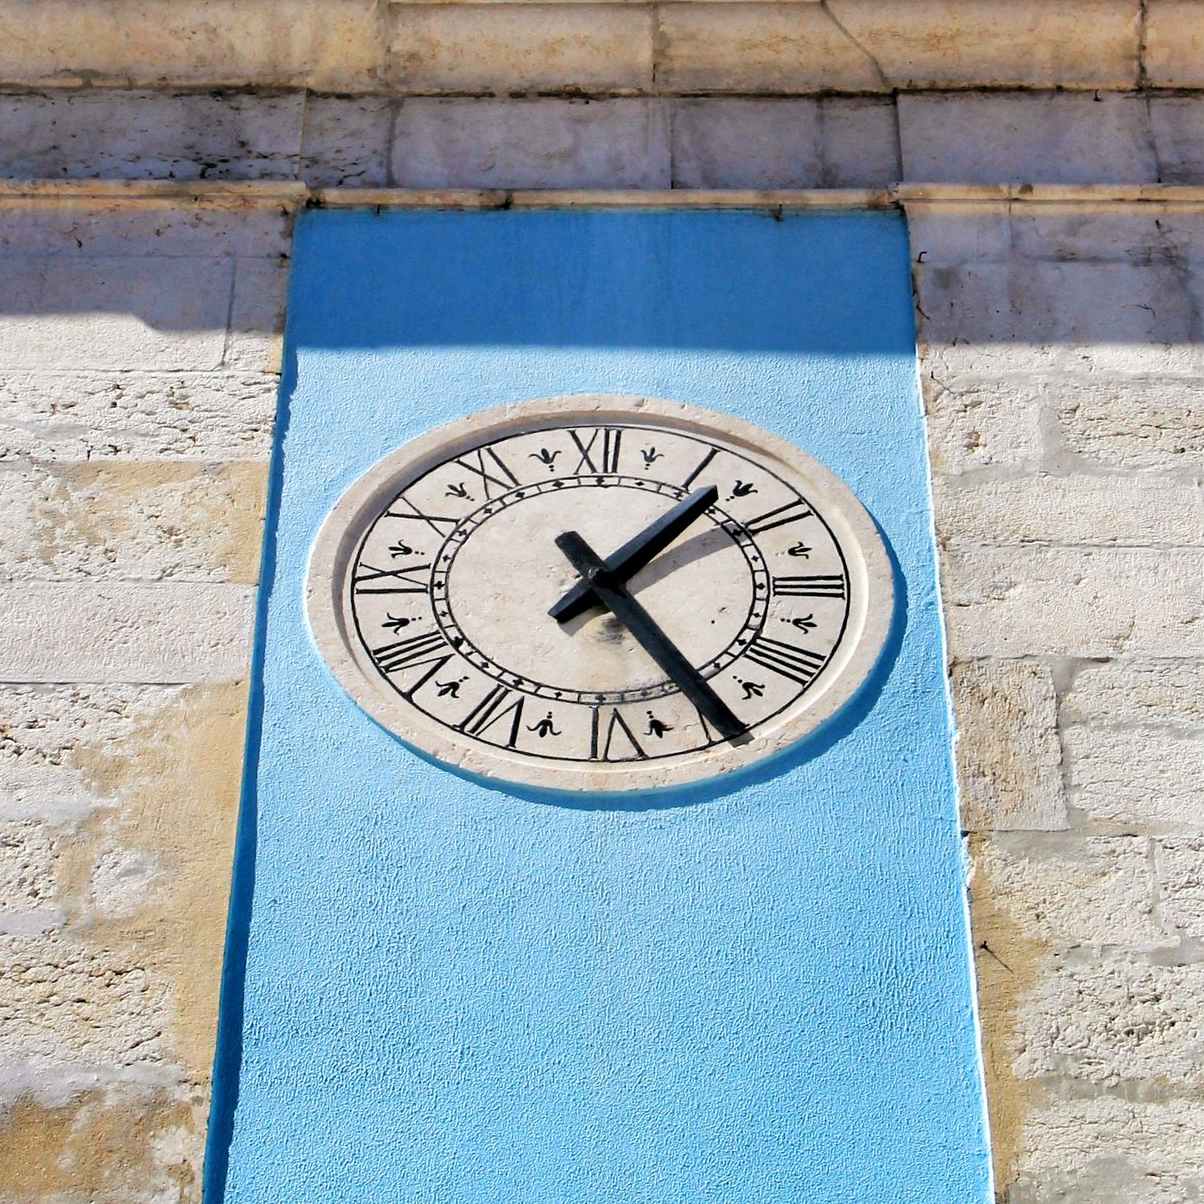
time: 1:24
